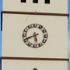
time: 5:41
